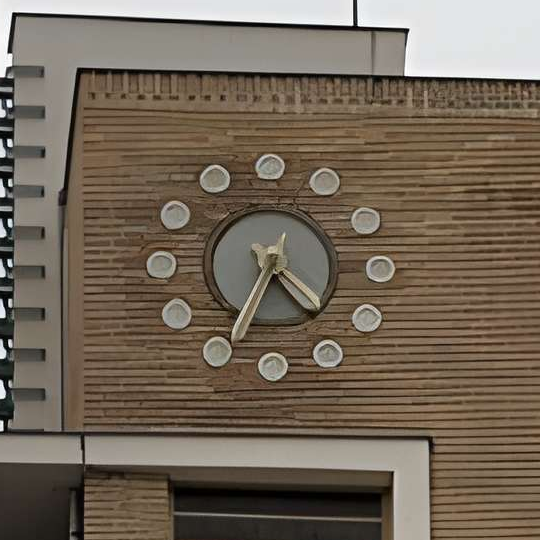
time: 4:34
